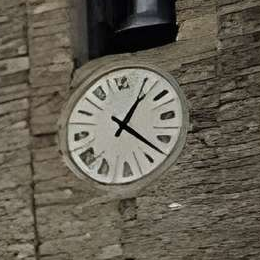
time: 1:22
